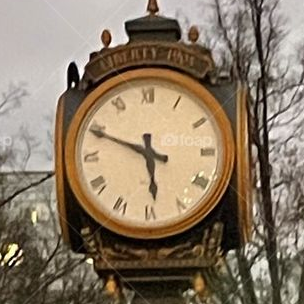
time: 5:49
